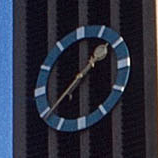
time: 1:39
